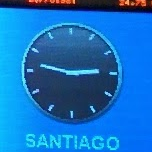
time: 2:46
